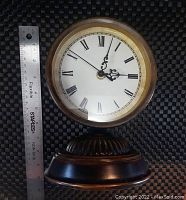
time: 3:02
